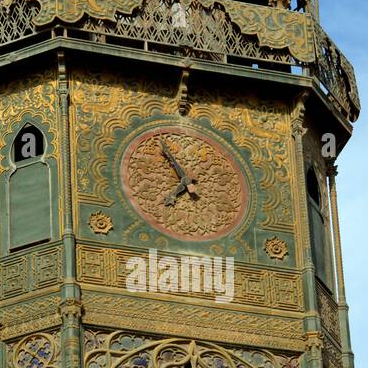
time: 6:56
